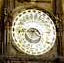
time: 3:43
